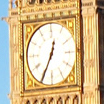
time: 12:34
